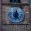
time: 12:23
